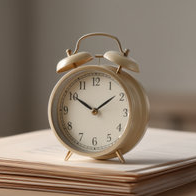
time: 1:50
